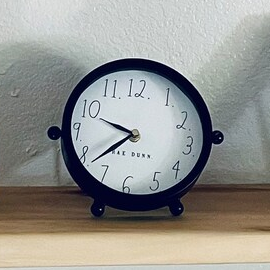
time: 9:38
